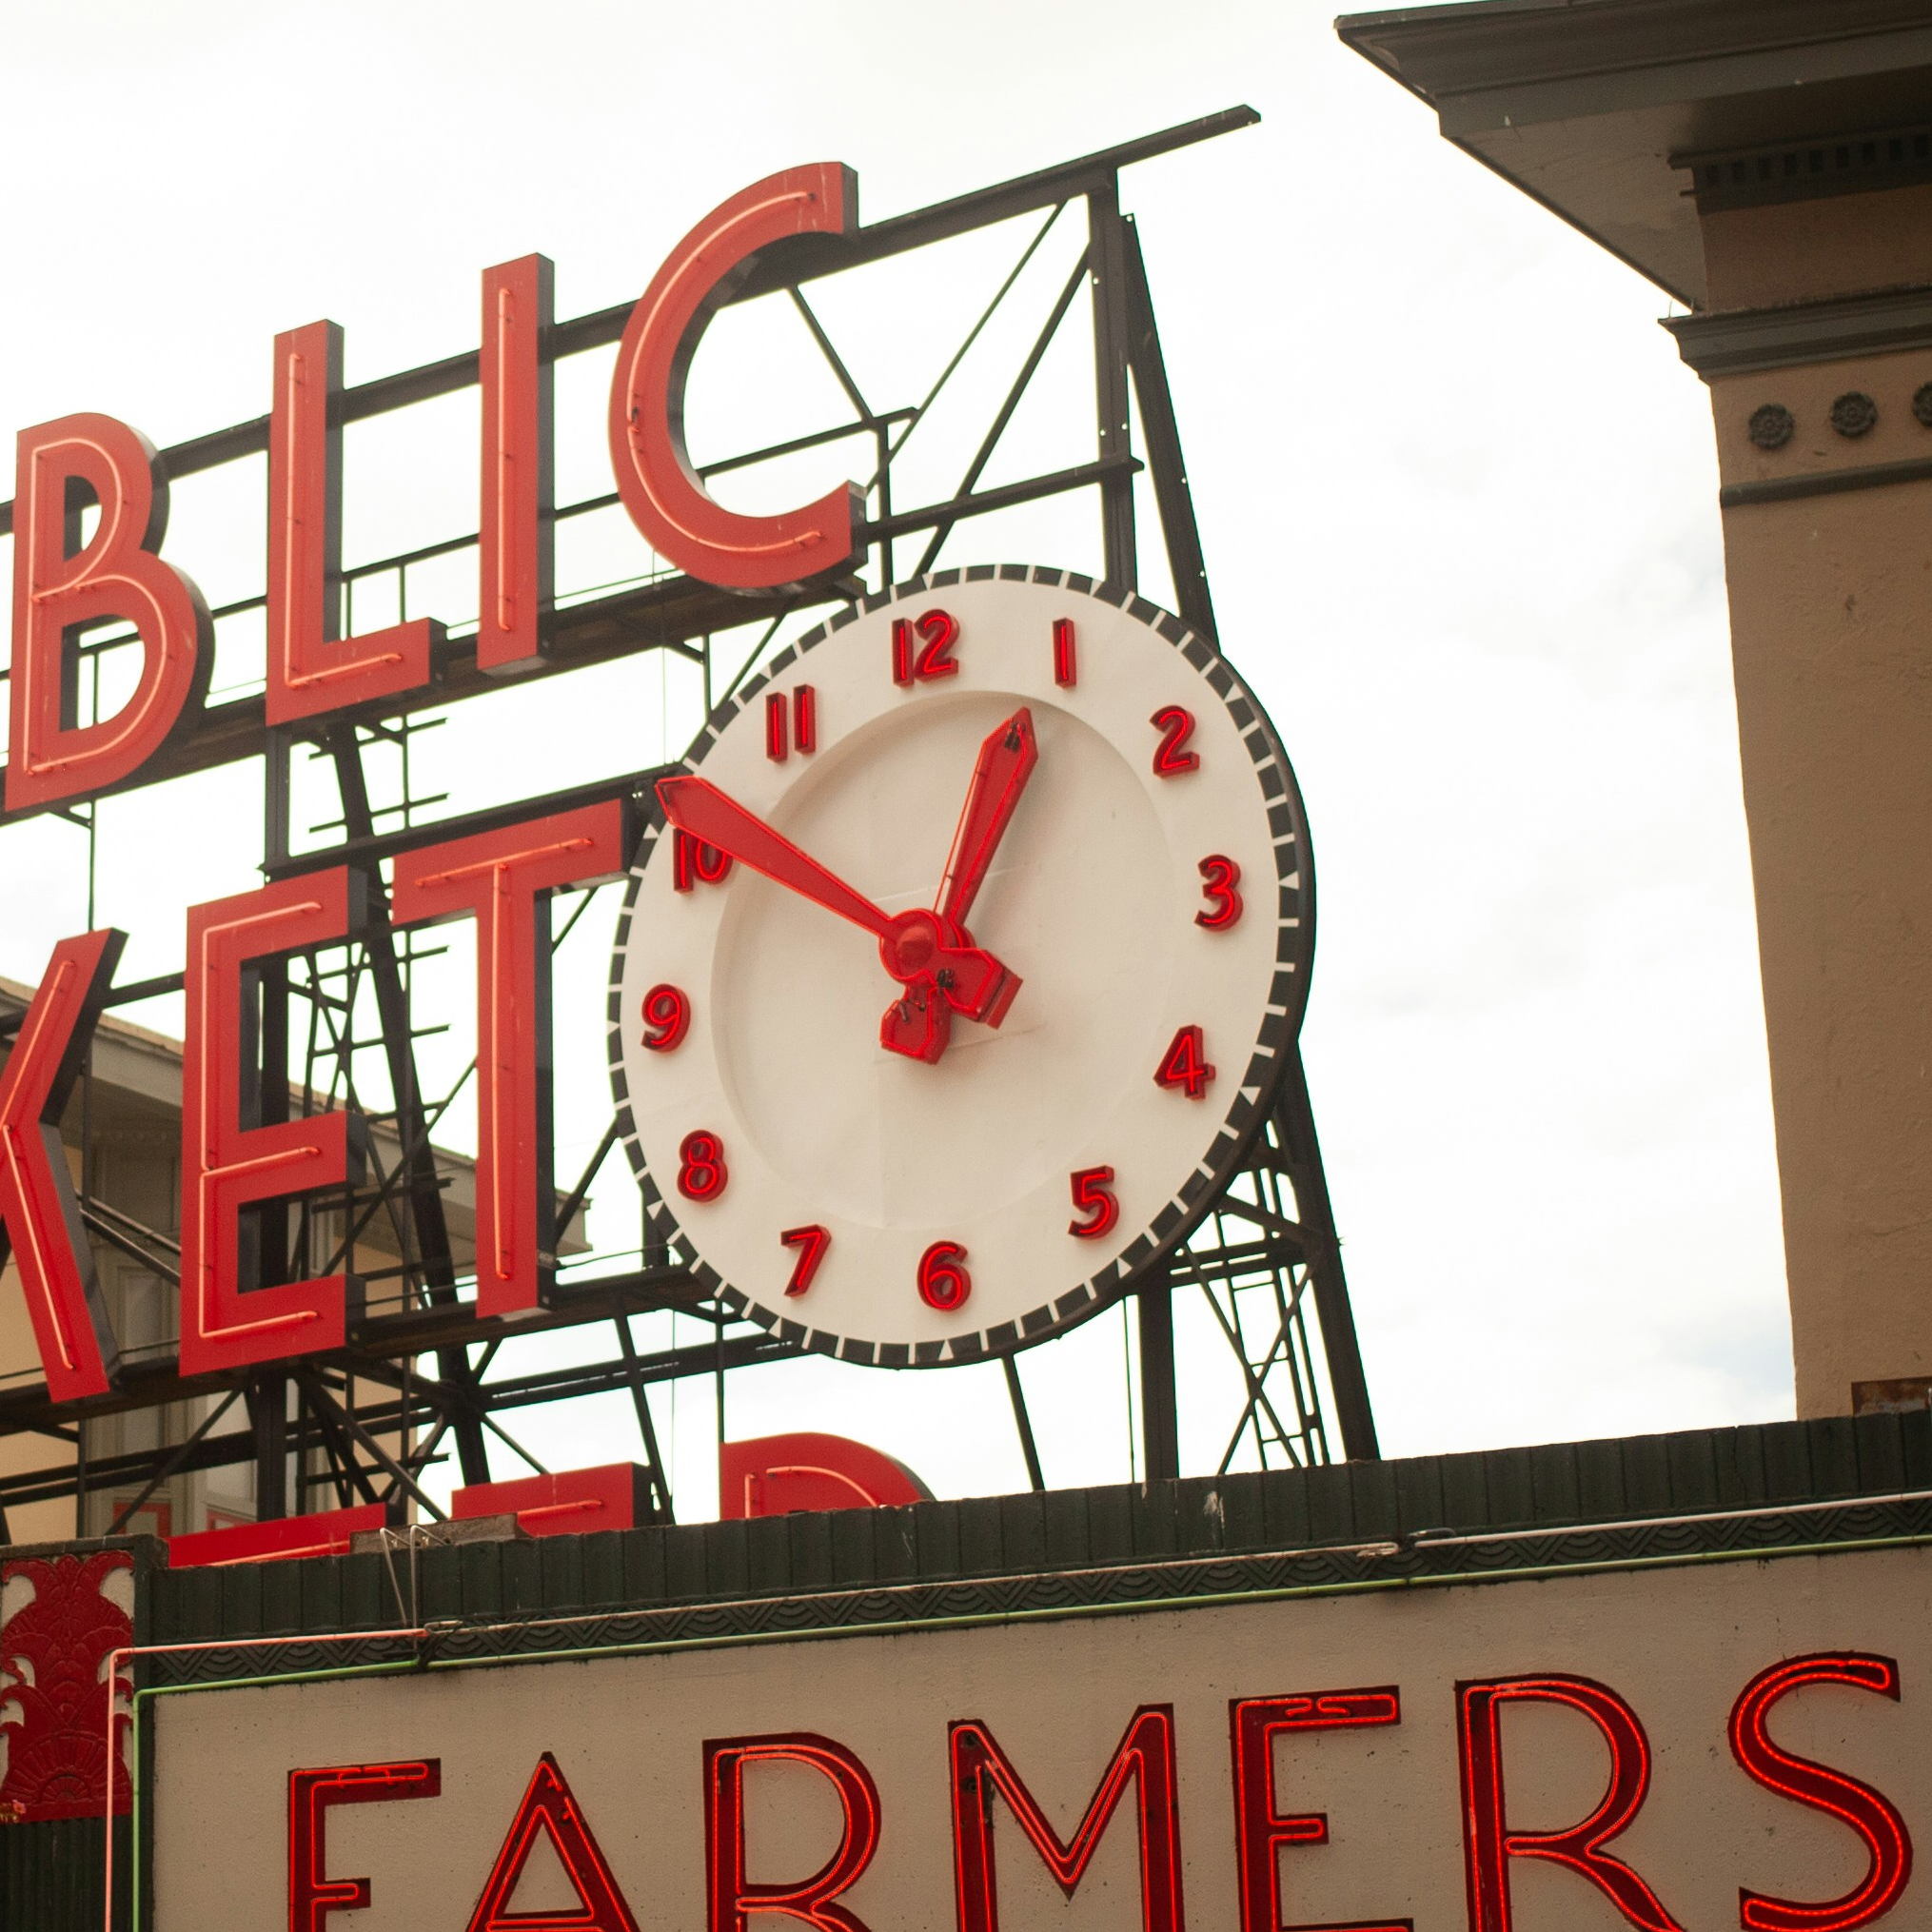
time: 12:51
